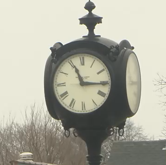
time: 11:15
